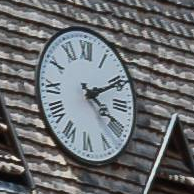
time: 4:10
